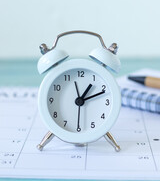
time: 1:11
